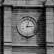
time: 3:02
